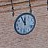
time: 11:55
